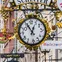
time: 12:55
